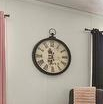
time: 11:32
